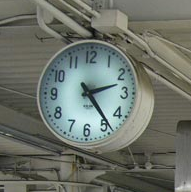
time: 2:23
